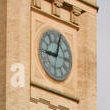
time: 9:02
